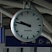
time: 9:47
